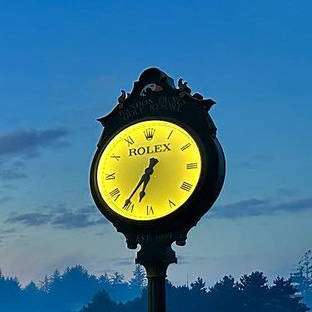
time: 6:35
